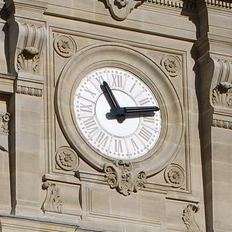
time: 11:13
